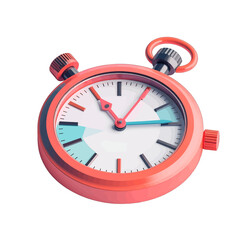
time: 2:54
